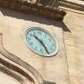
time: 10:25
